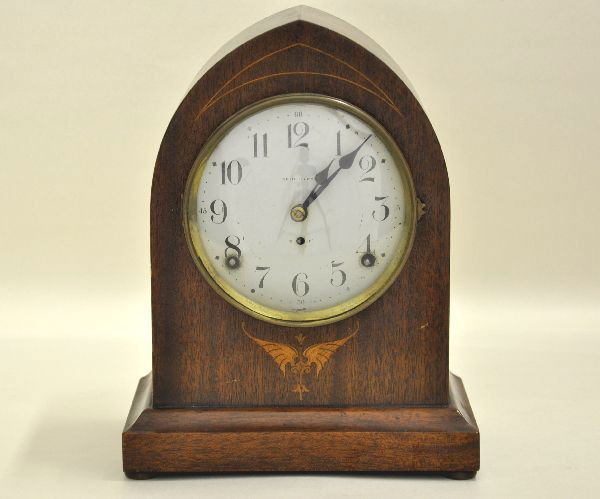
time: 1:07
